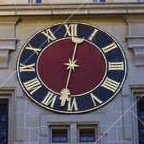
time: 12:32
